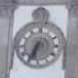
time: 6:34
